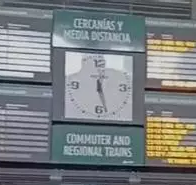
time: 12:27
